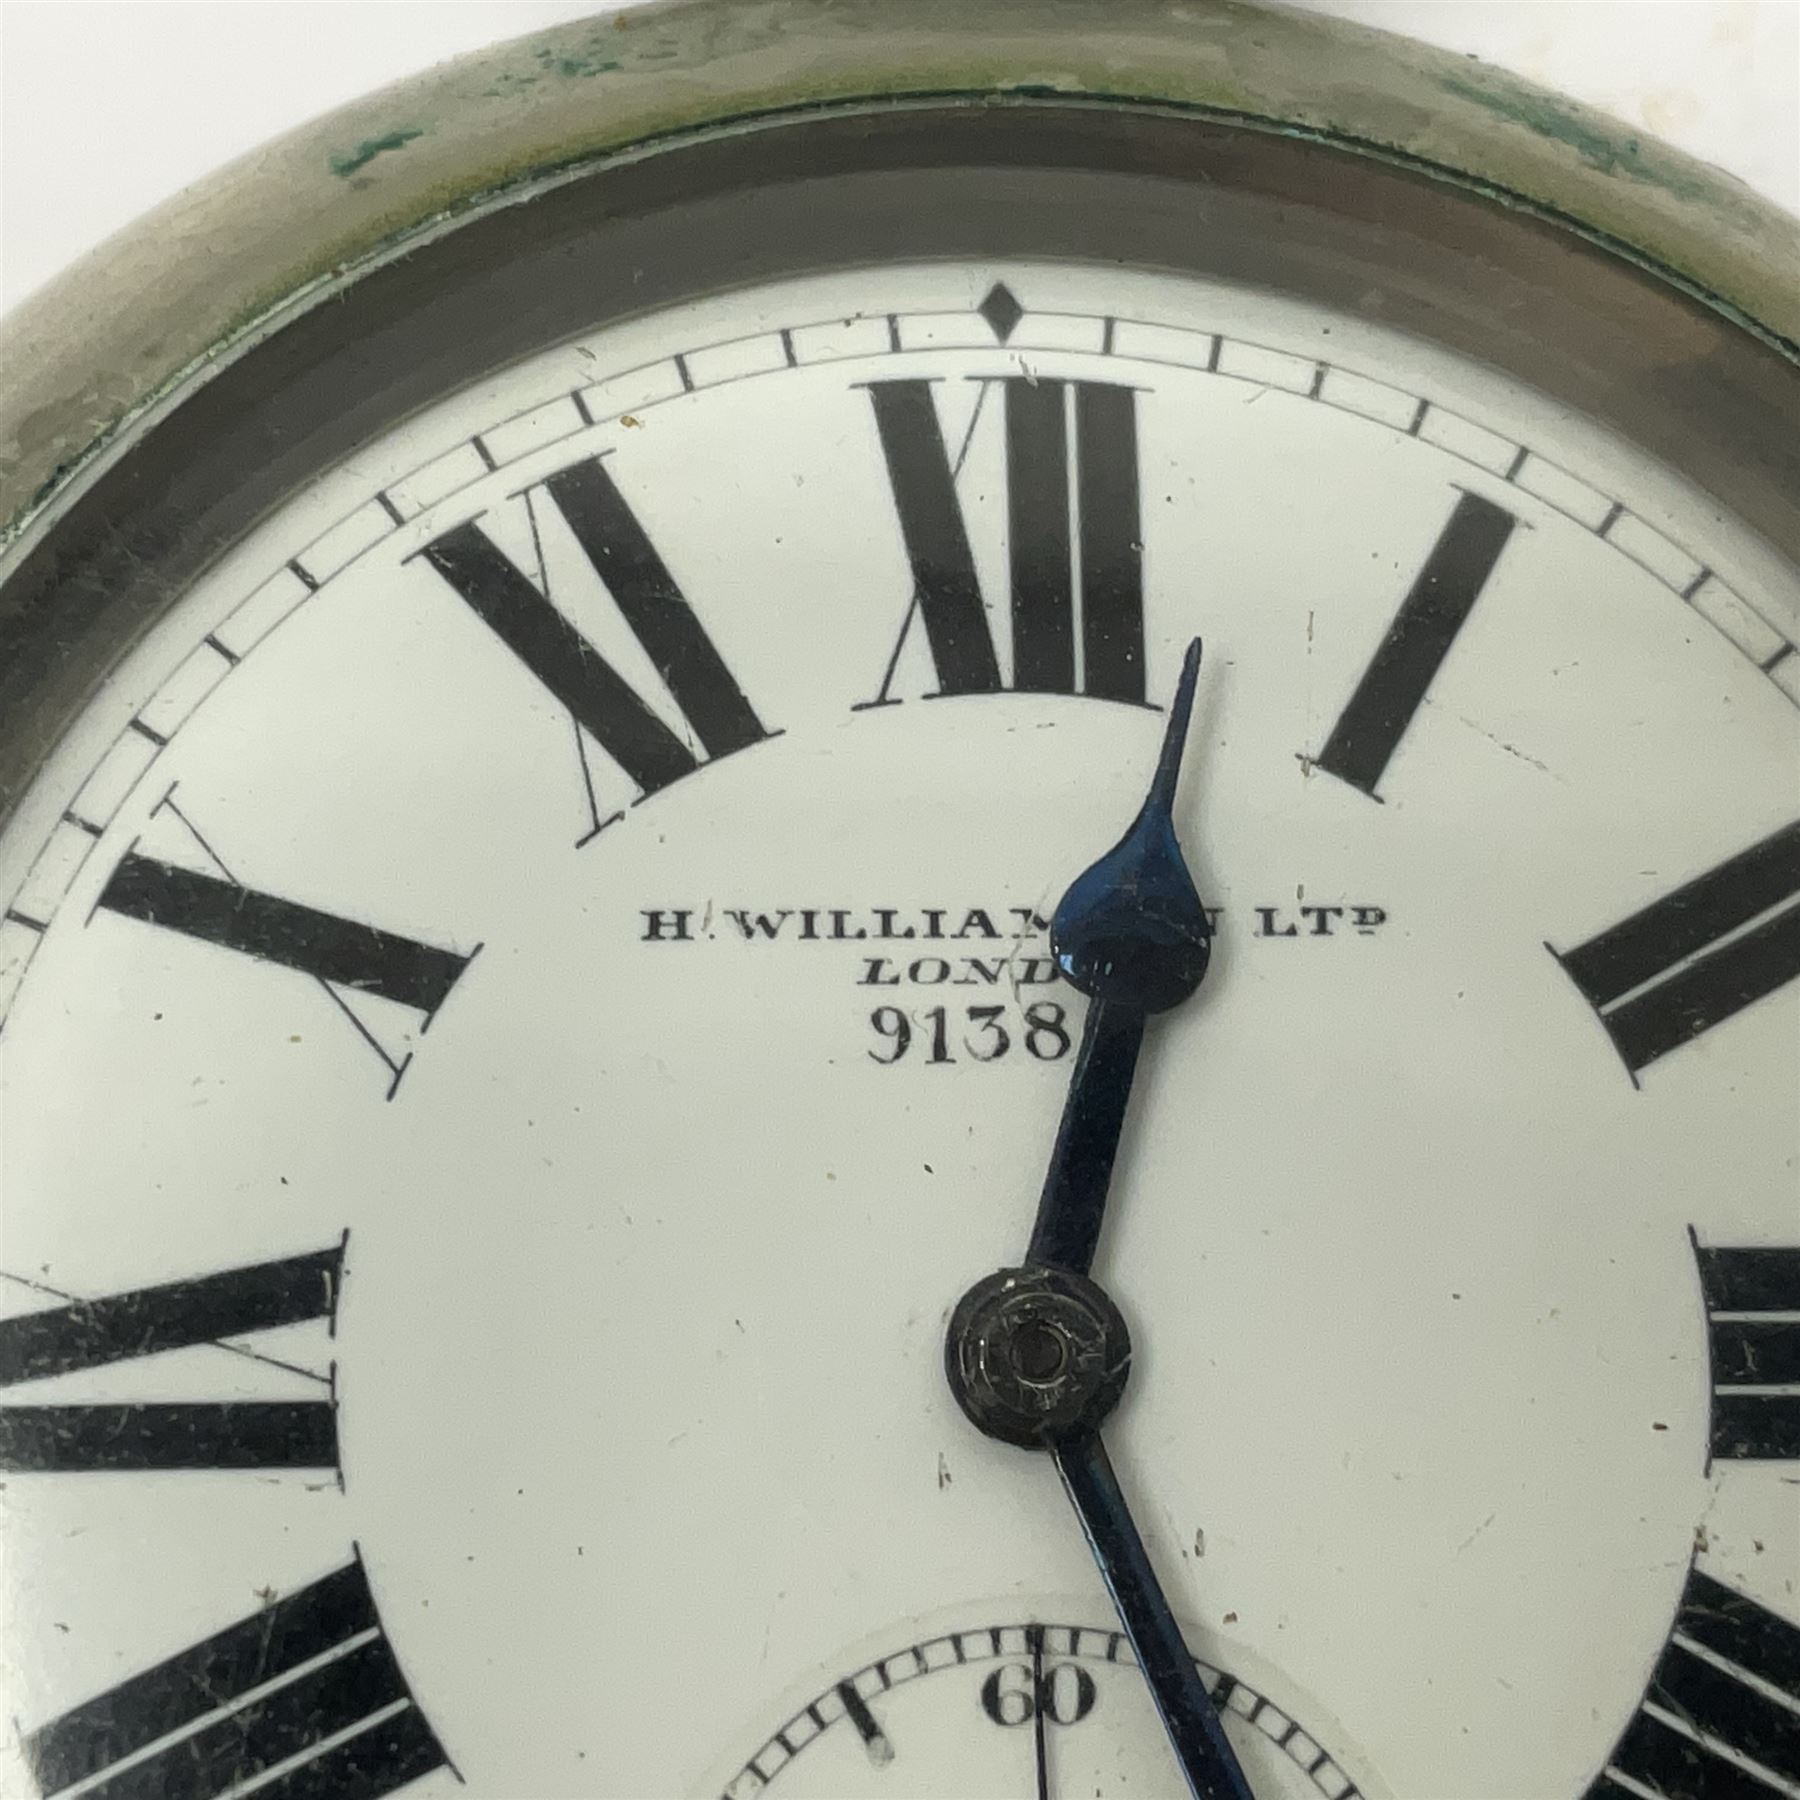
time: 12:26
